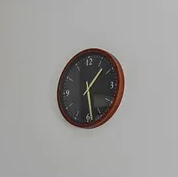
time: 1:28
